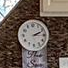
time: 2:14
